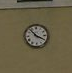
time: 3:52
